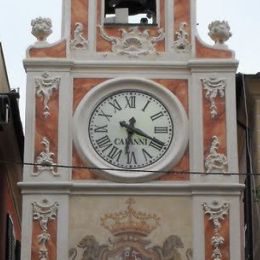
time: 6:19
